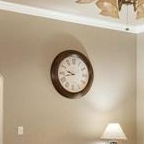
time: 9:42
